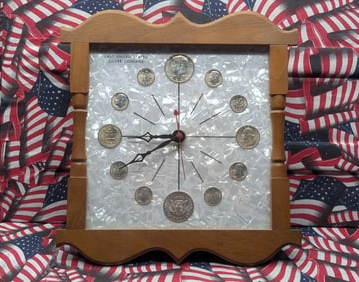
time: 8:39
